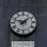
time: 1:47
